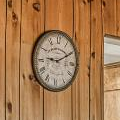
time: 9:10
